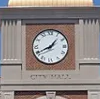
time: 1:40
